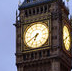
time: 6:39
